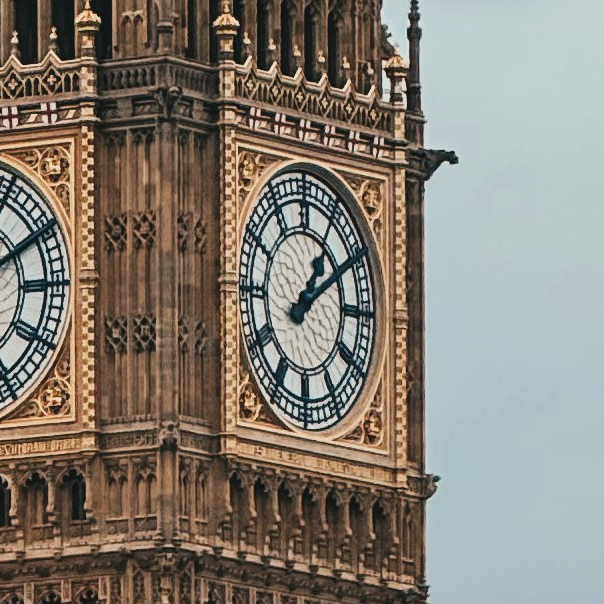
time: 1:09
